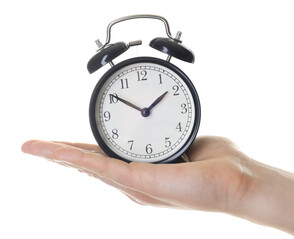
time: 1:50
